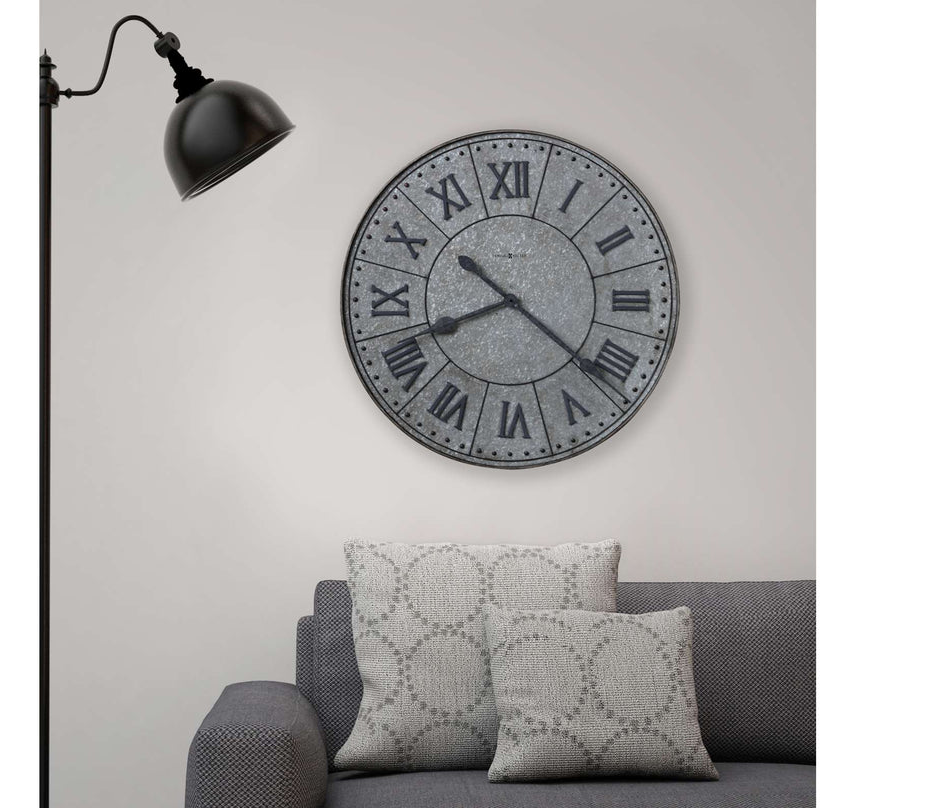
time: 8:21
